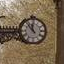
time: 11:53
